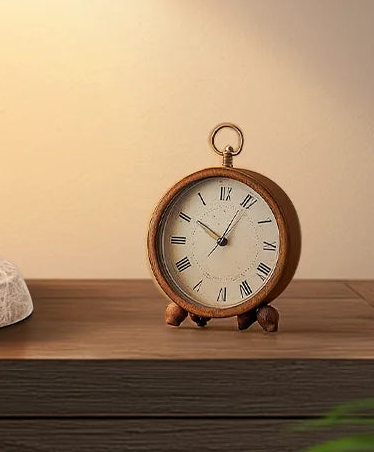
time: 10:04
